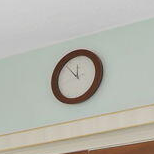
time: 11:52
